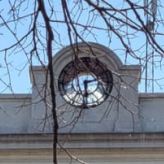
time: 2:29
